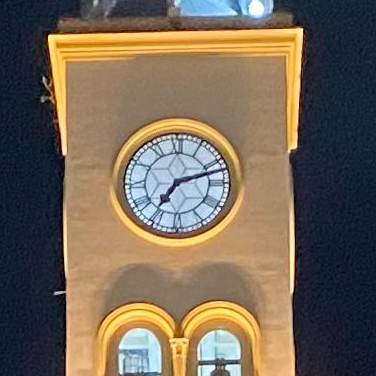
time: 7:12
